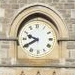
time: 9:40
